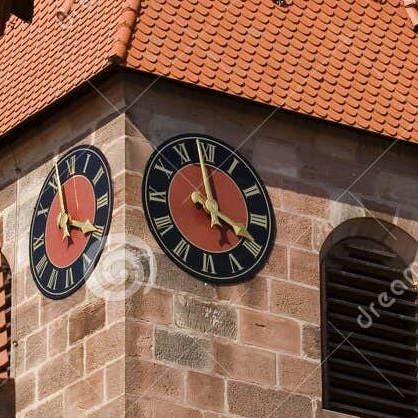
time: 3:58
